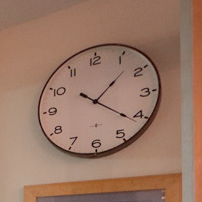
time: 1:21
